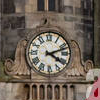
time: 4:11
